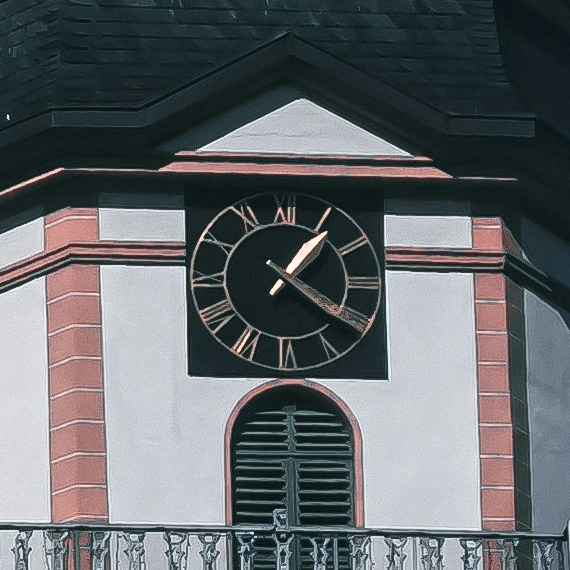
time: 1:20
